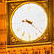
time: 9:22
